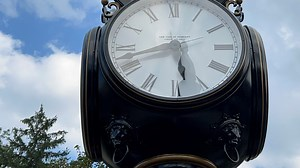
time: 5:42
